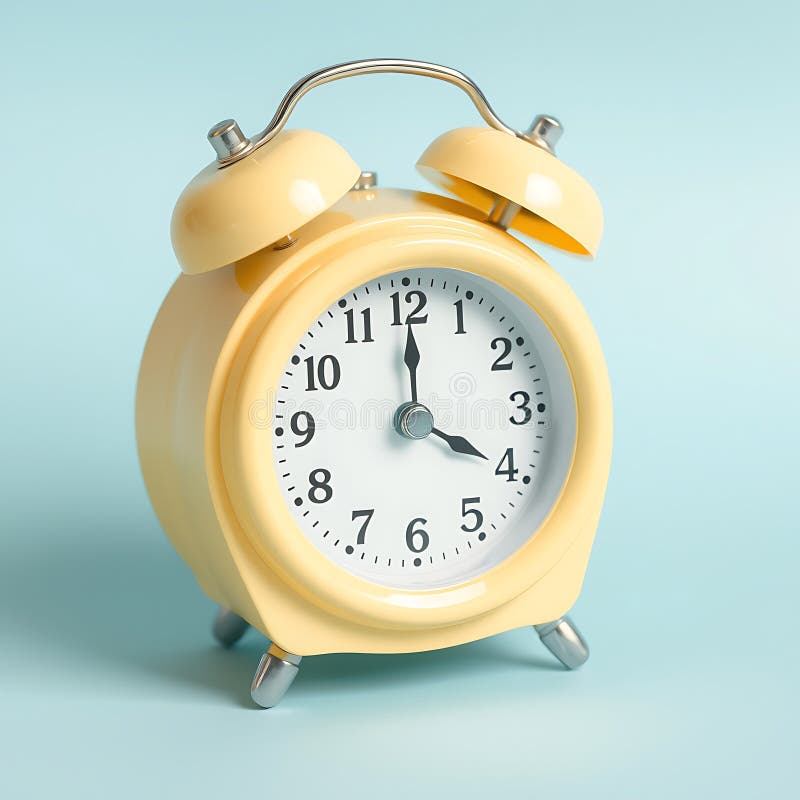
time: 4:00
